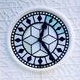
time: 12:24
